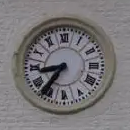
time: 8:36
